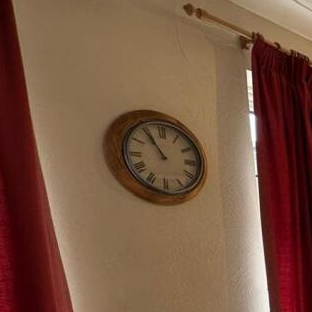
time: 10:54
